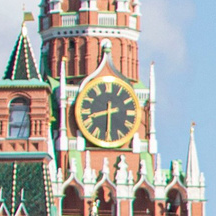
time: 8:30
